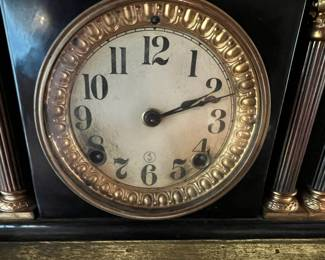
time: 2:11
